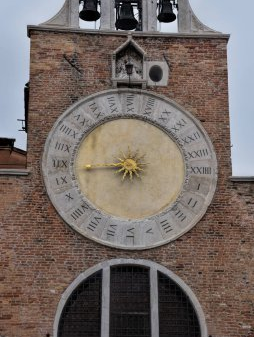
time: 8:43
